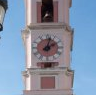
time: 2:02
